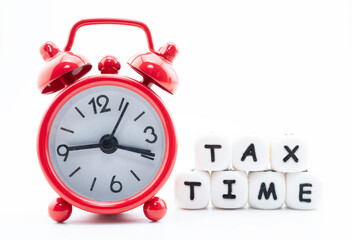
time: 3:45
